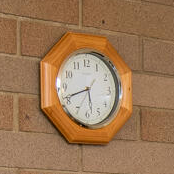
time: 5:41
